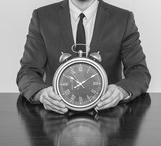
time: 10:09
